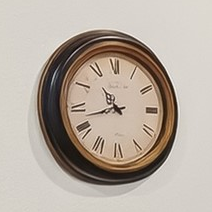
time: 10:42
